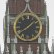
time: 1:39
